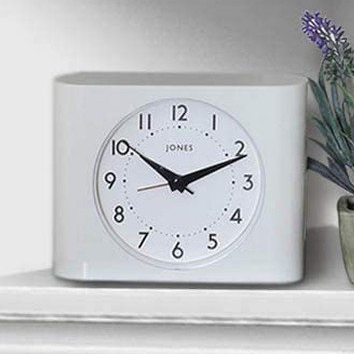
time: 10:11
